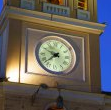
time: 9:37
